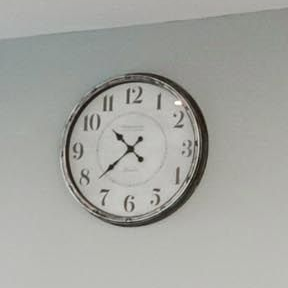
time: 10:38
